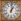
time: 1:01
